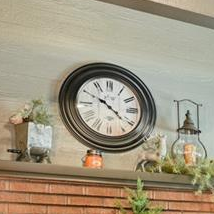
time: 10:21
